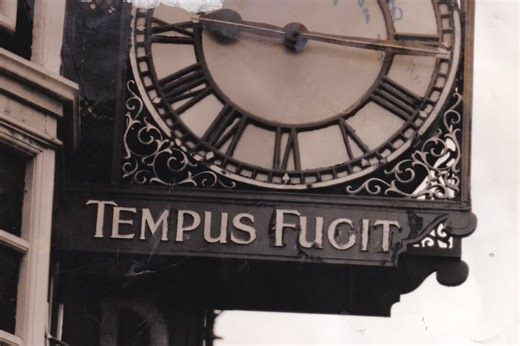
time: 9:16
